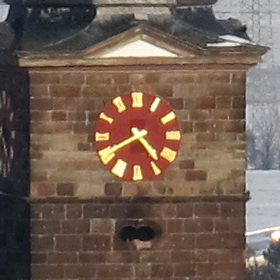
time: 4:40
